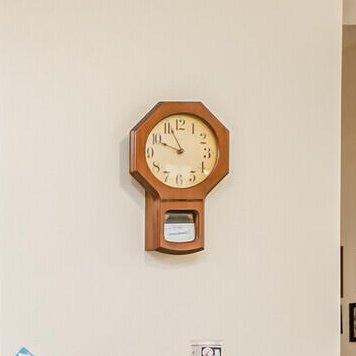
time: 9:56
